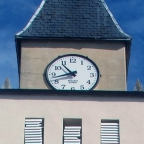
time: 10:42
